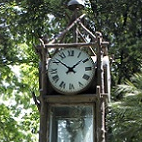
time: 1:51
